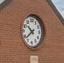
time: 10:38
